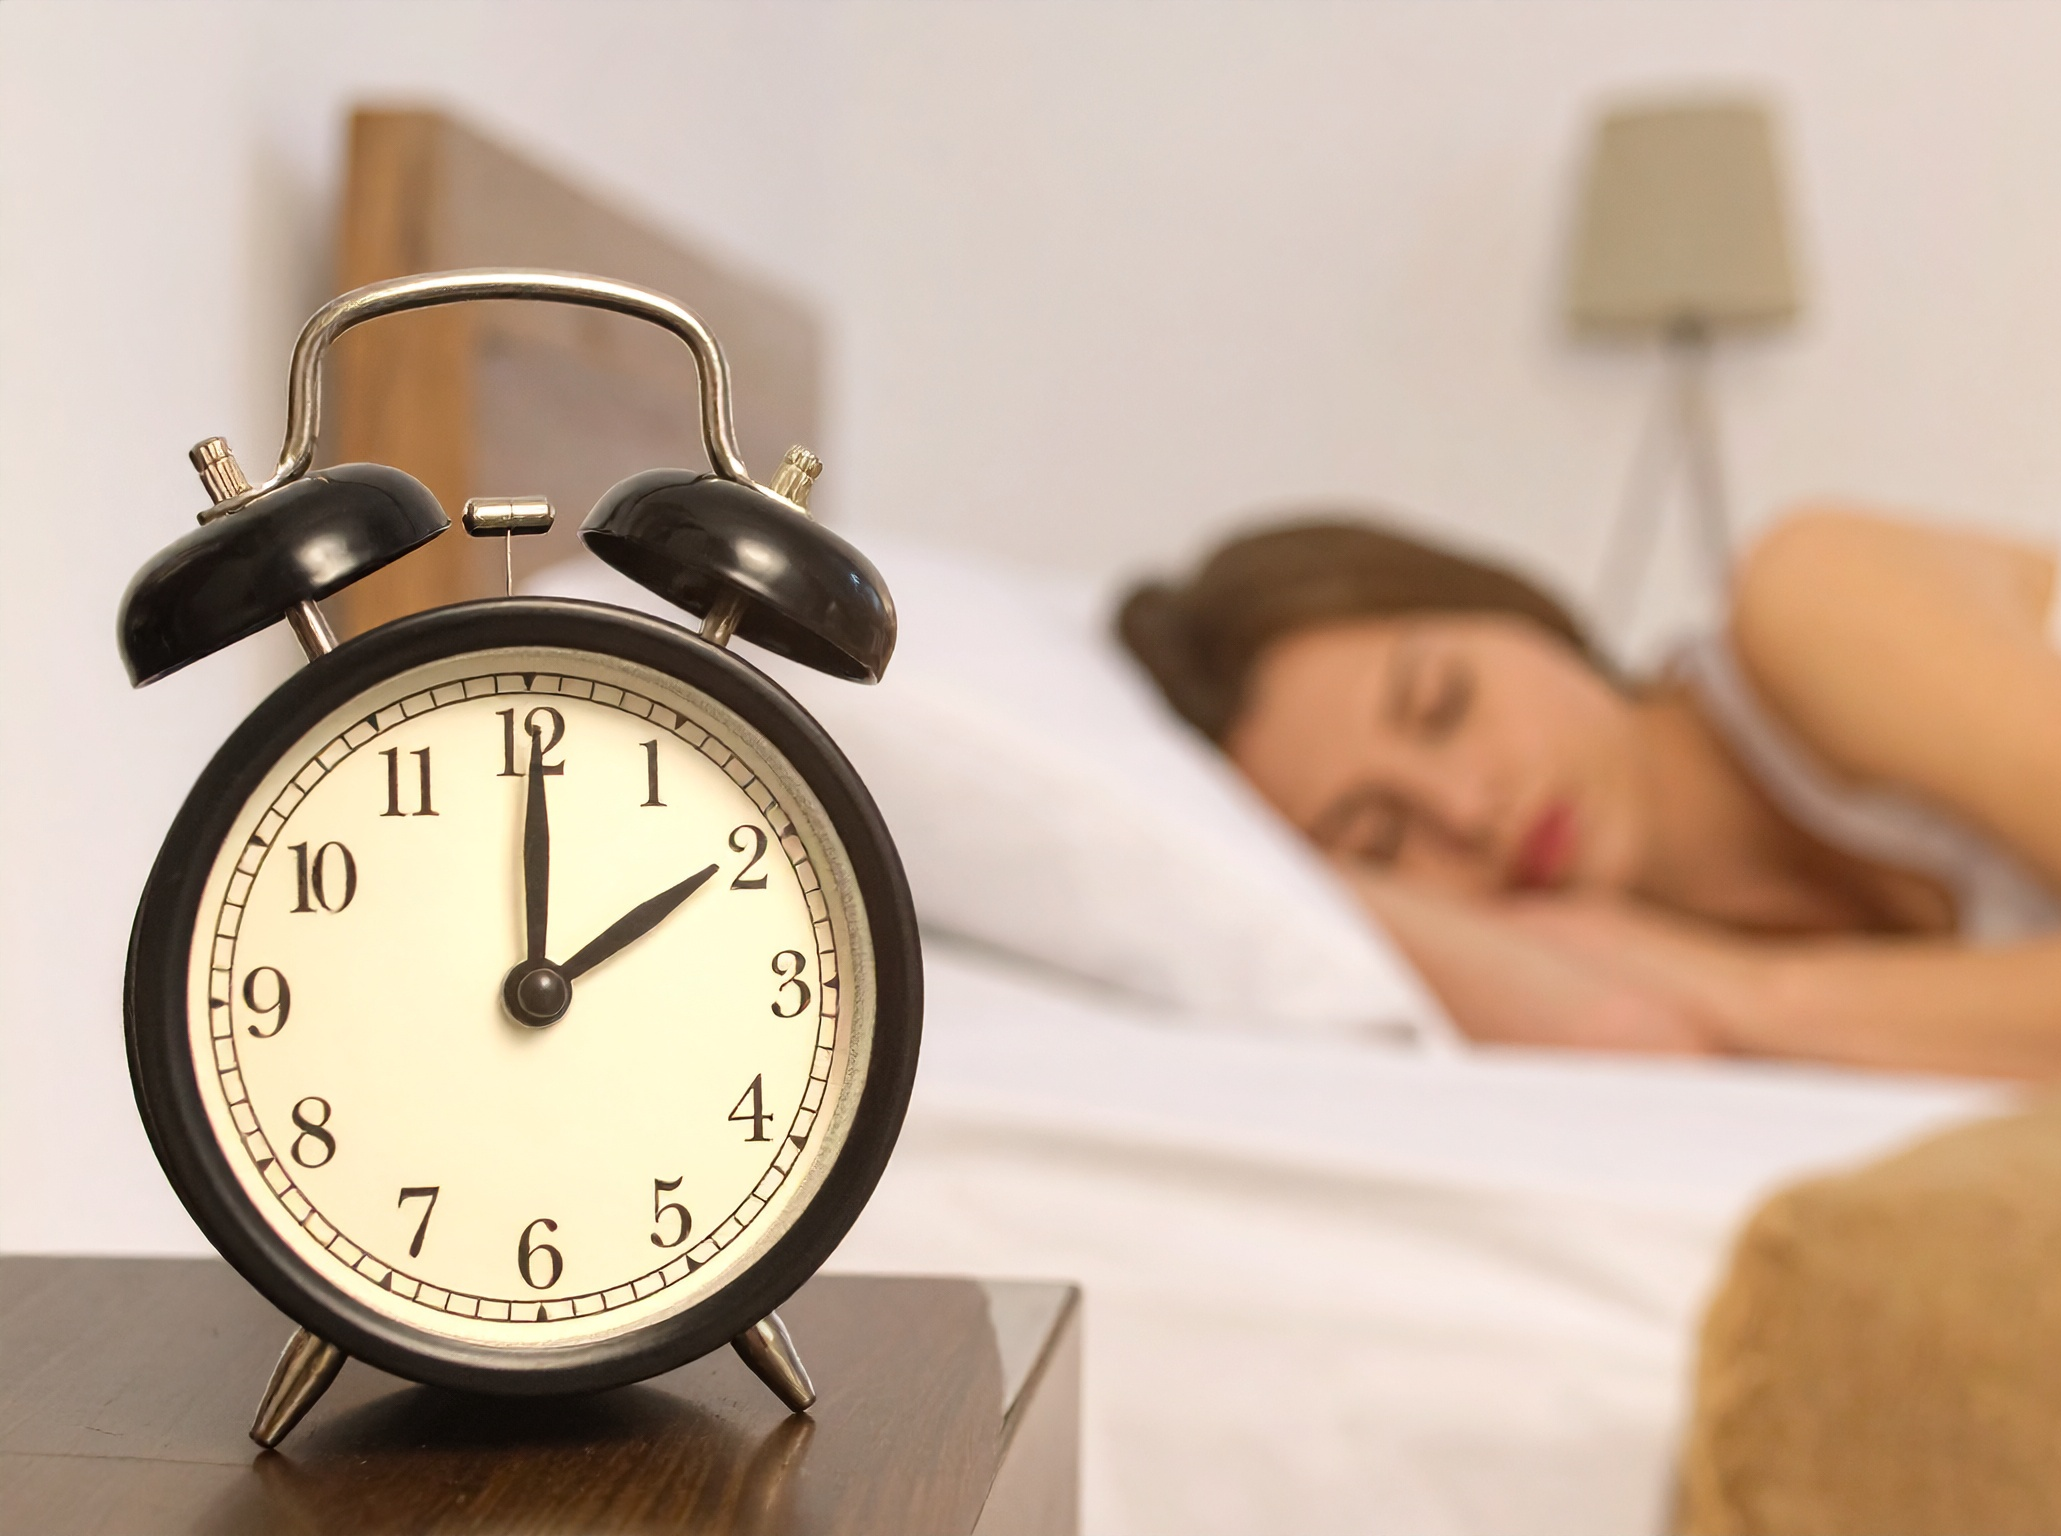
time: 2:00
